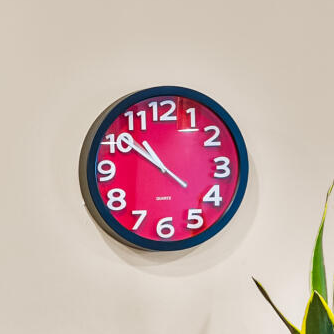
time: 10:51
